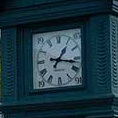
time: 1:16
